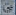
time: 4:13
